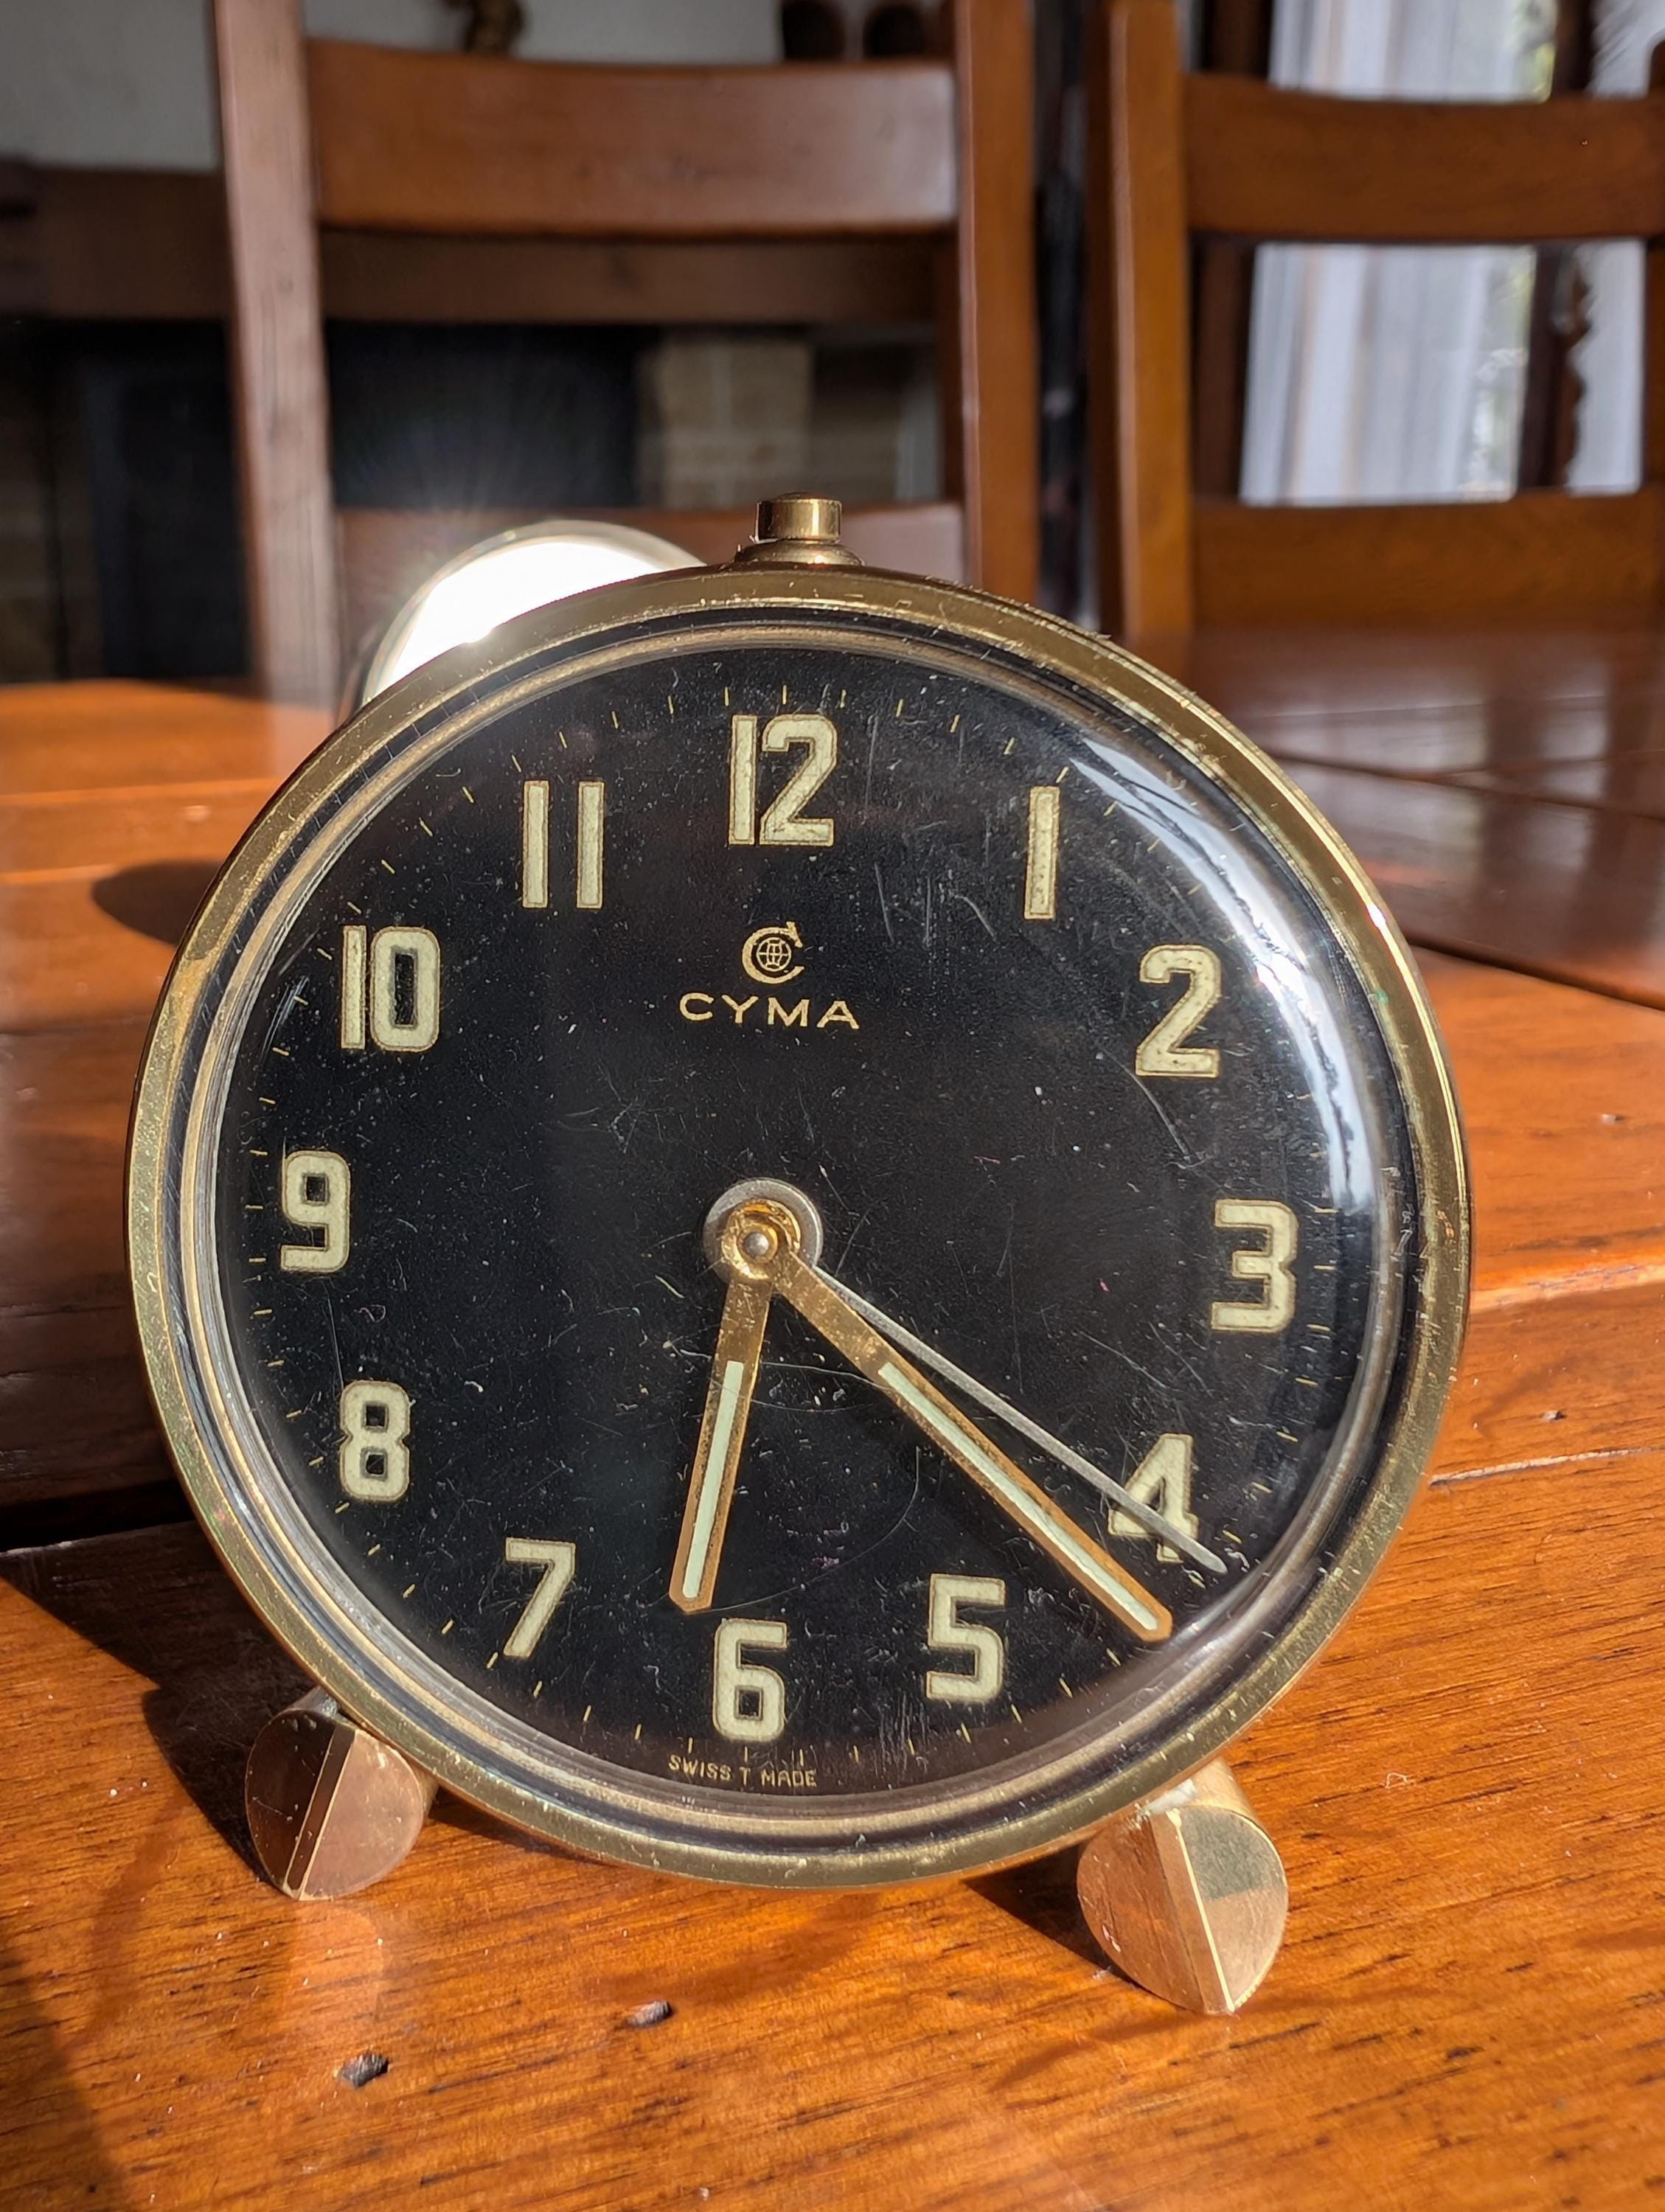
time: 6:21
